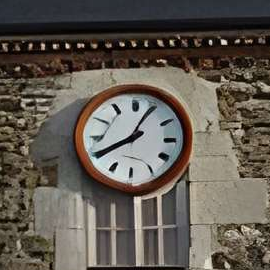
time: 8:04
